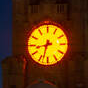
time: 8:32
